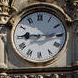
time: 9:14
